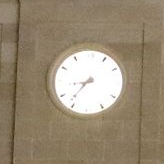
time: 8:36
